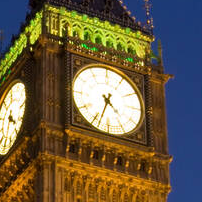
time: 4:33
